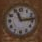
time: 11:13
